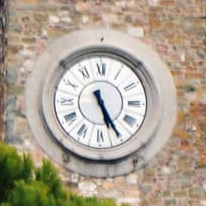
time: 5:25
